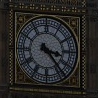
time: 3:23
